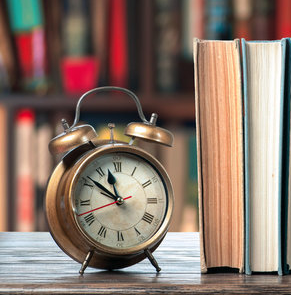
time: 11:51
